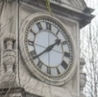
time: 1:38
